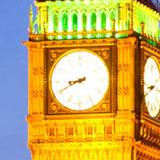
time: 8:40
